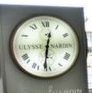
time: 12:31
